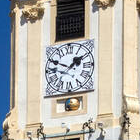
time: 1:49
